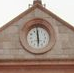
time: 5:59
